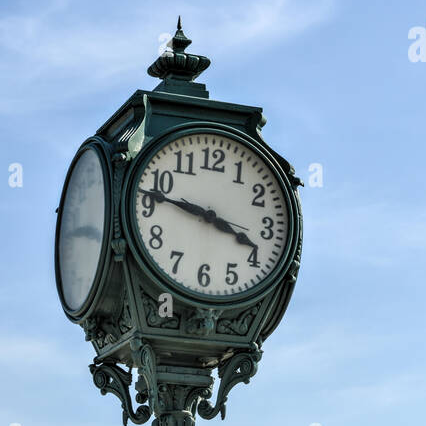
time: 3:47
